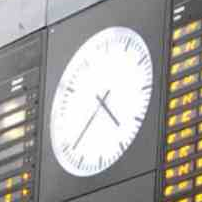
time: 4:38
